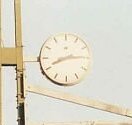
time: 8:14
